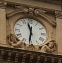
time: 11:31
